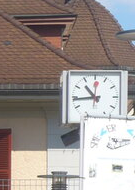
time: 10:43
